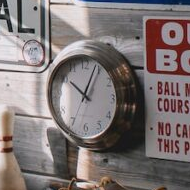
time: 10:04
